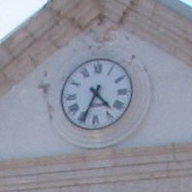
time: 4:34
